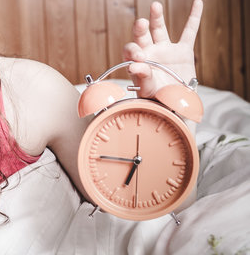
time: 6:45
